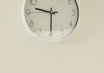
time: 9:30
